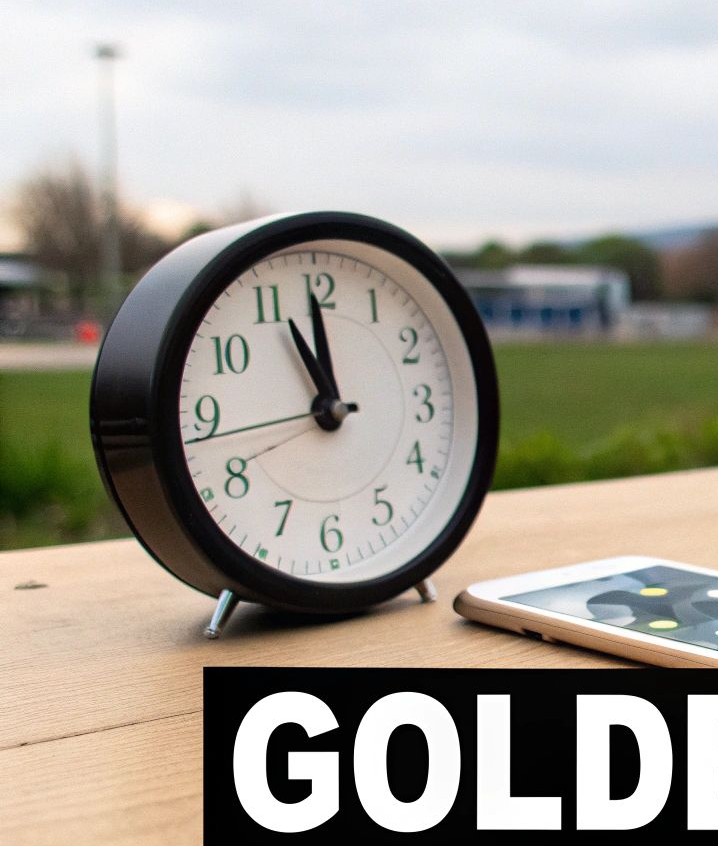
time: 10:58
